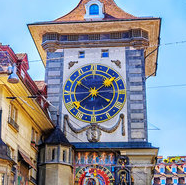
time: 1:39
